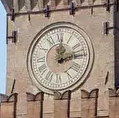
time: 12:13
